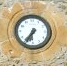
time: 6:36
